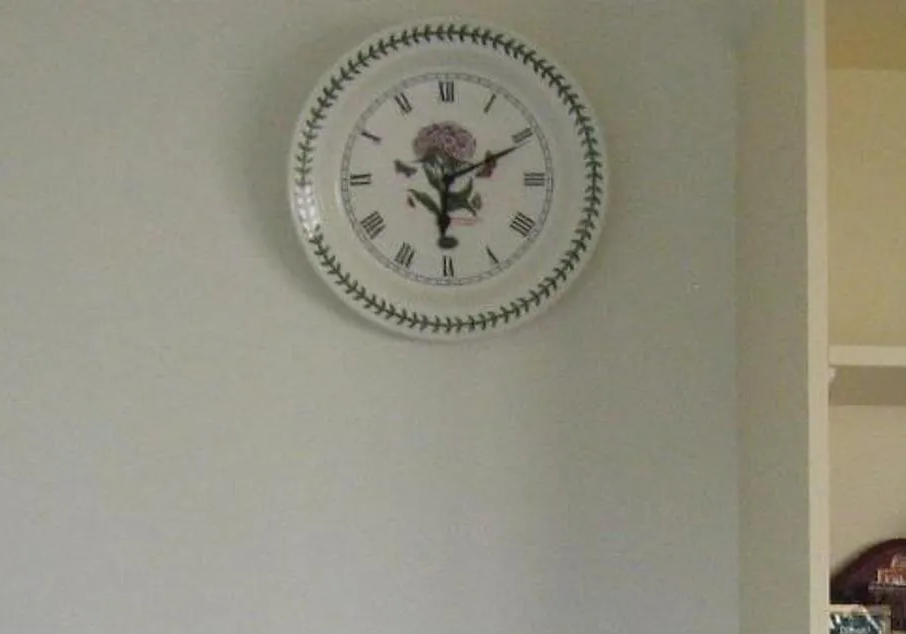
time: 6:10
